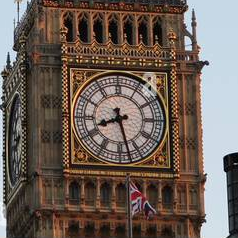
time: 8:27
